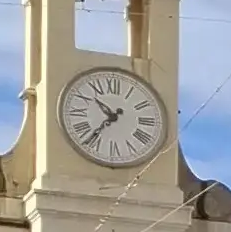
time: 10:36
